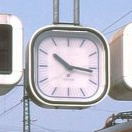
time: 10:16
